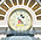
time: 4:34
